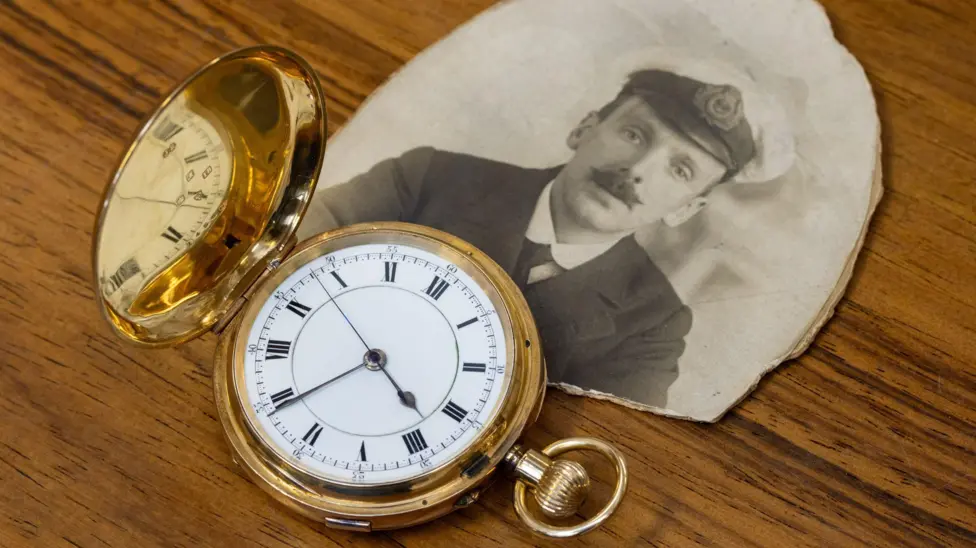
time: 4:39
